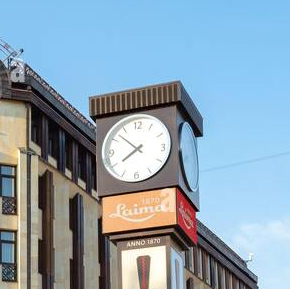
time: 7:52
